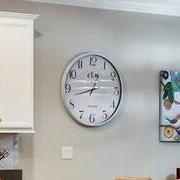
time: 12:42
